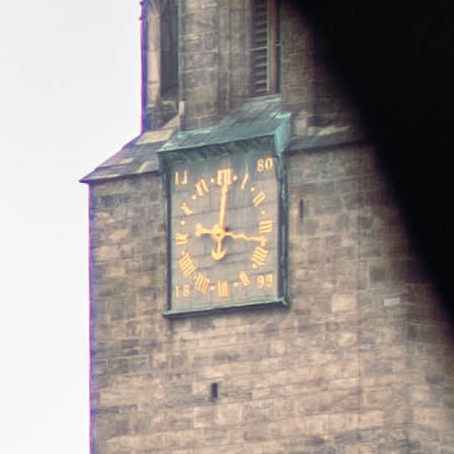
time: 9:01
